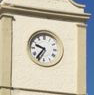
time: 9:36
